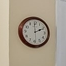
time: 1:59
